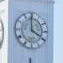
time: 4:00
